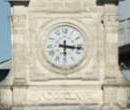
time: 6:16
